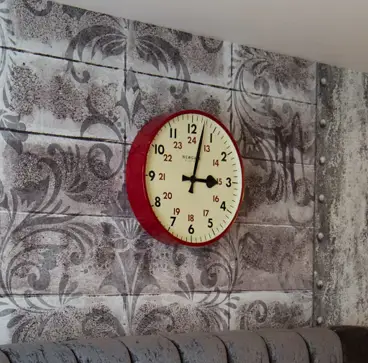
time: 3:02
